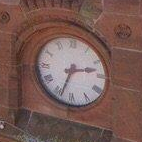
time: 2:33
